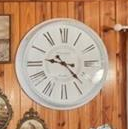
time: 9:22
